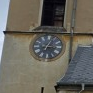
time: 3:04
